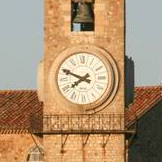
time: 7:48
